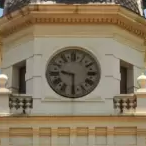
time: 9:29
